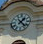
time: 1:22
